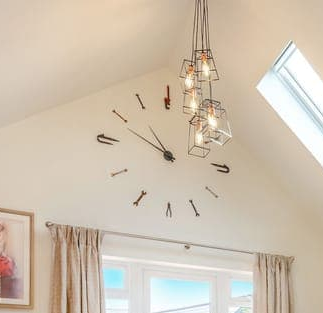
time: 10:49
